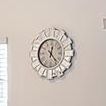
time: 12:23
